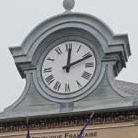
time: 12:11
